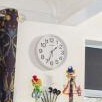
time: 1:33
